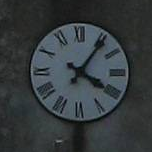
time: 4:06
